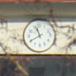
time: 11:40
